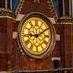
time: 9:10
